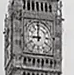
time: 8:59
